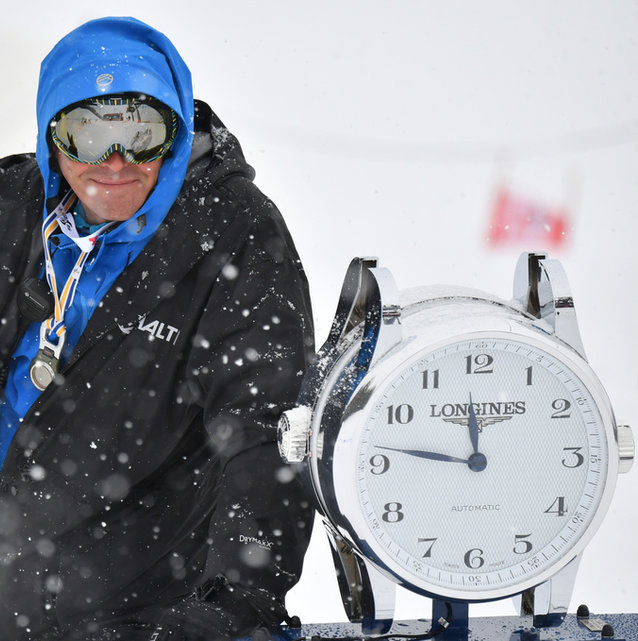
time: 11:46
